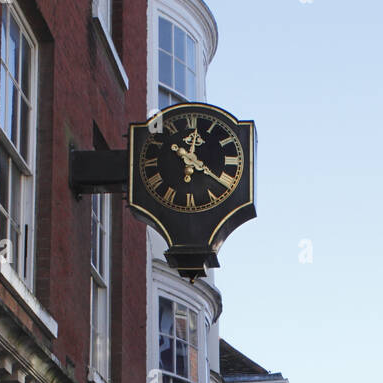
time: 12:20
